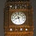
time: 8:27
